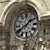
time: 1:39
